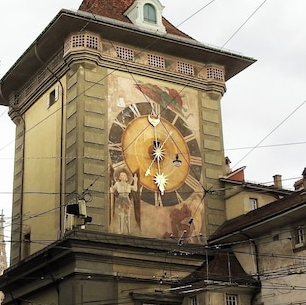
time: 5:59
